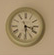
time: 3:29
